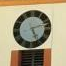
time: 5:12
